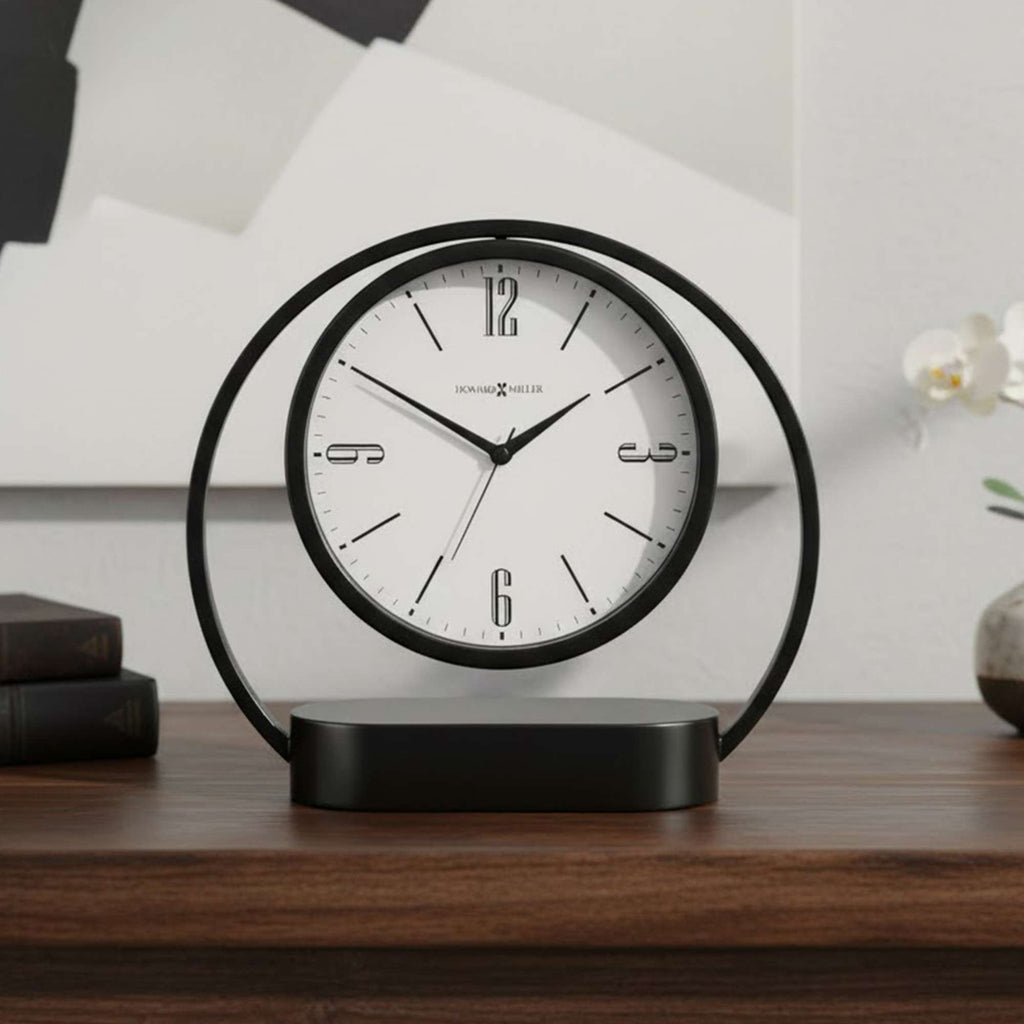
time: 1:50
